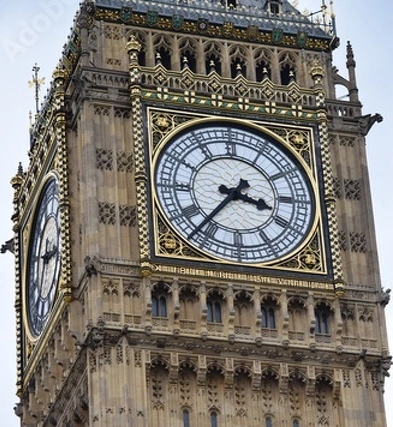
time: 3:36
